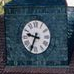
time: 9:34
